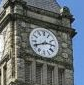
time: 2:40
